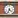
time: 4:33
